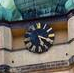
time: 5:18
